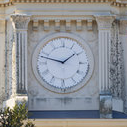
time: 1:47
